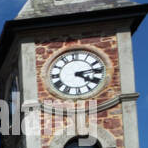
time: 4:13
